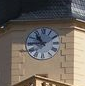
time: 10:45
